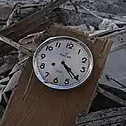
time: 4:20
